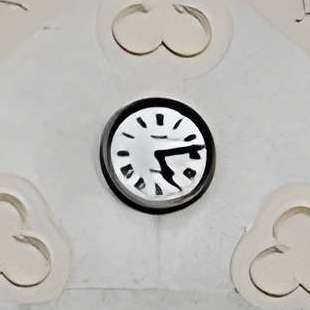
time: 5:13
